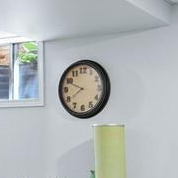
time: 7:49
